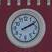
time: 2:10
